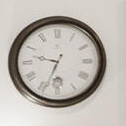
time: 9:33
